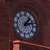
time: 1:12
